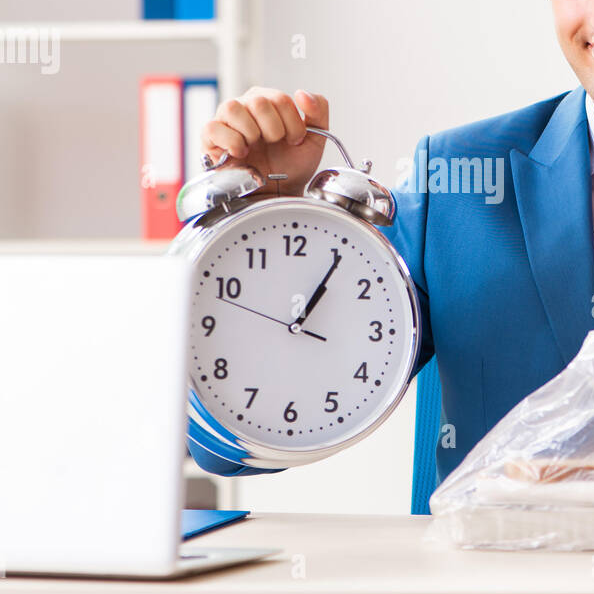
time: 1:05
